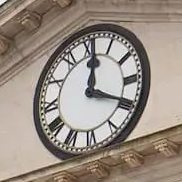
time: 12:19
